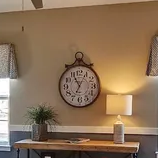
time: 6:55
